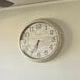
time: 6:34
